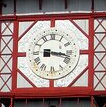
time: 3:16
